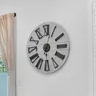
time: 6:03
